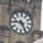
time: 9:25
